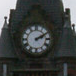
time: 2:09
